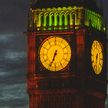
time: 6:34
